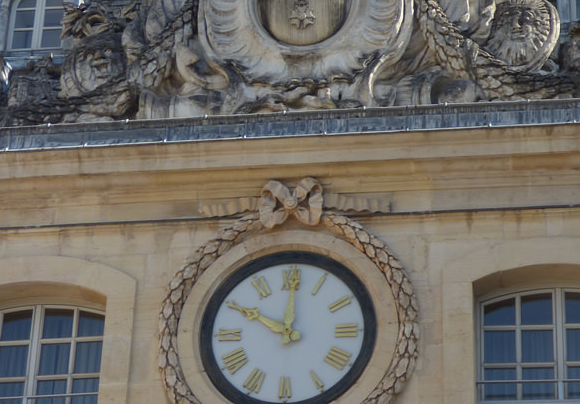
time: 10:00
